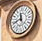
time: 11:42
